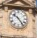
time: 10:24
